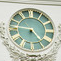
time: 4:46
